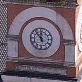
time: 11:53
